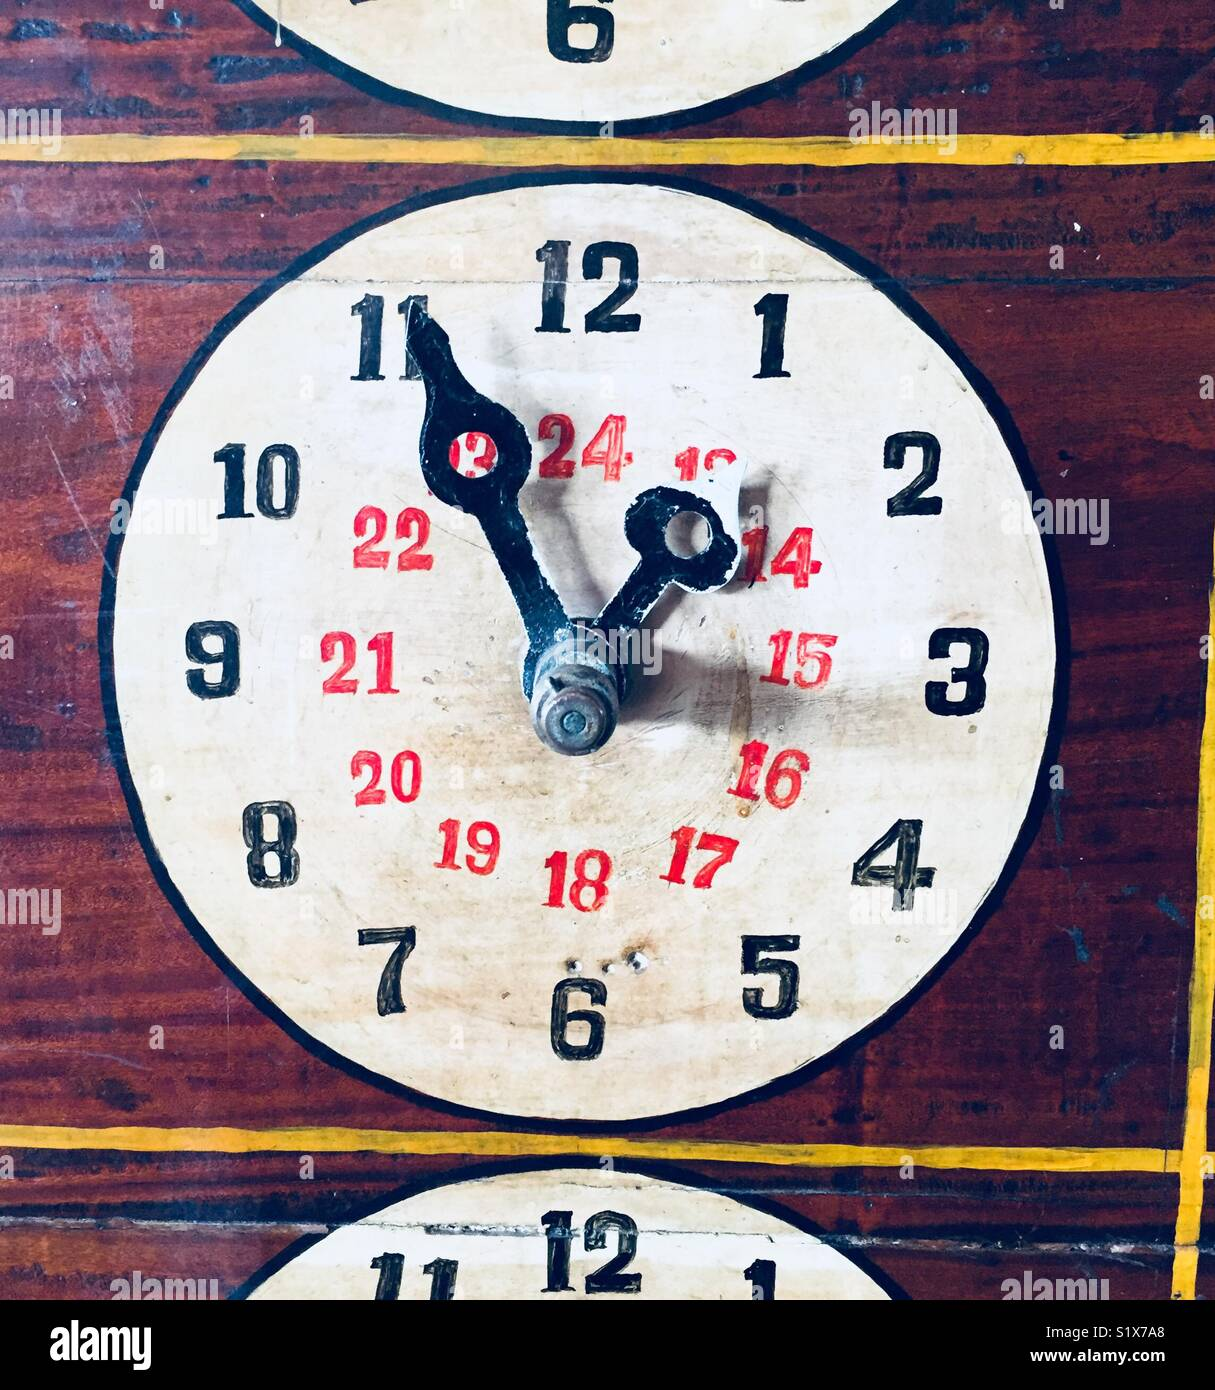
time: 12:55
